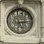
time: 5:14
